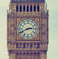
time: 2:41
